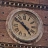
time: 4:51
